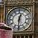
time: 12:30
